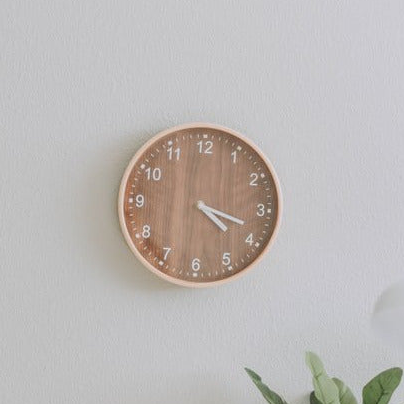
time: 4:18
